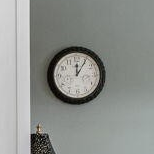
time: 12:05
